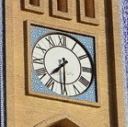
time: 7:29
